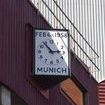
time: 2:52
